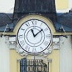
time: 11:08
